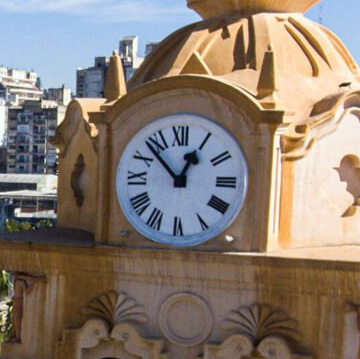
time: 12:52
